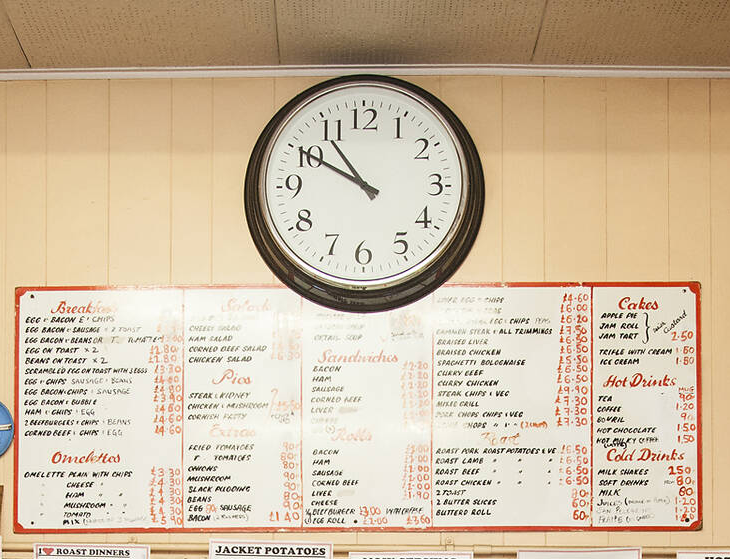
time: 10:50
